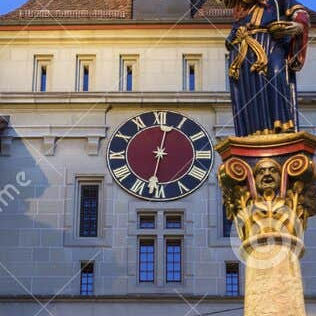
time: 12:32
